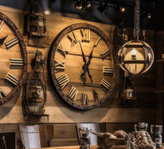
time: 12:57
